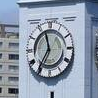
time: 11:35
